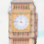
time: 11:46
